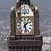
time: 1:28
